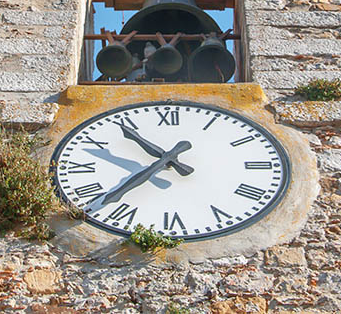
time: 10:37
